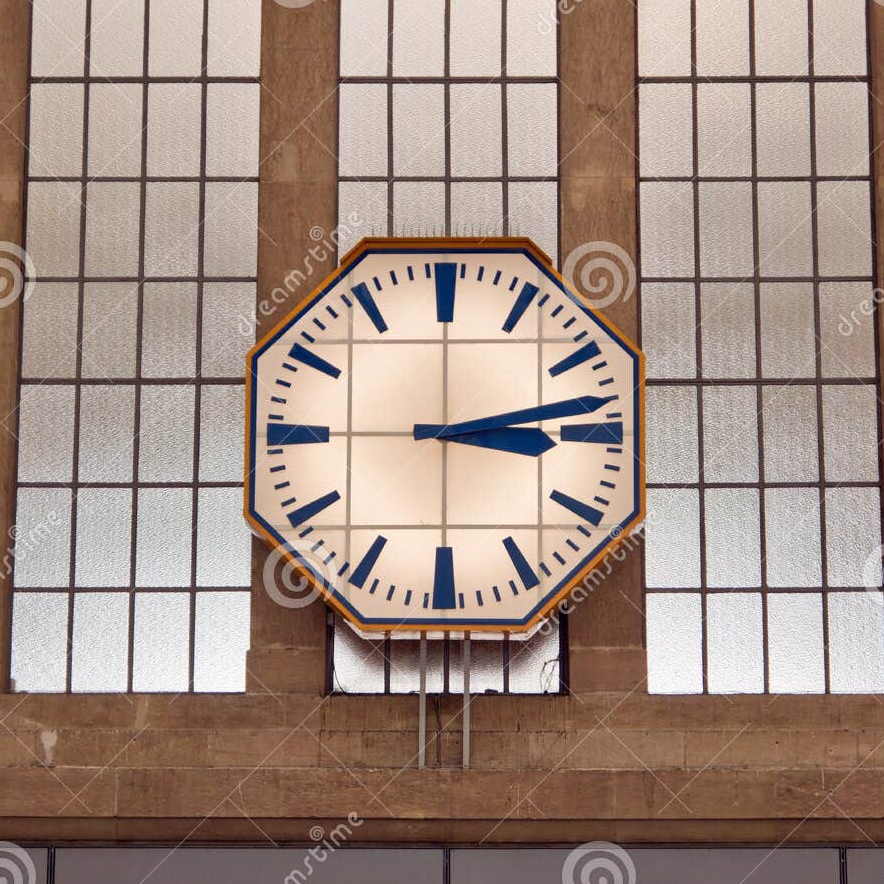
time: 3:13
